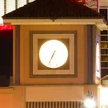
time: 12:34
